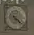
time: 4:21
